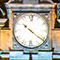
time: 10:21
